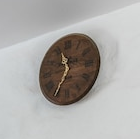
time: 11:35
